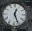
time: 12:26
